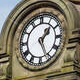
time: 1:26
